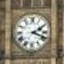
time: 2:18
